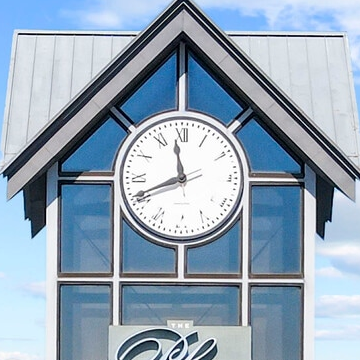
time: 11:41
